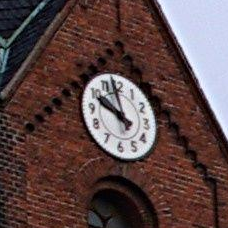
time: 9:57
